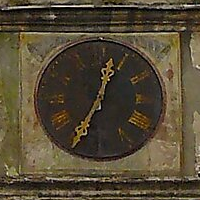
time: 12:34
